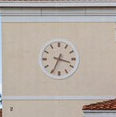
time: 3:34
